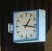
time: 1:16
